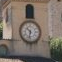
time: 10:32
